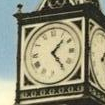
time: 1:23
